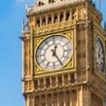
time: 12:24
